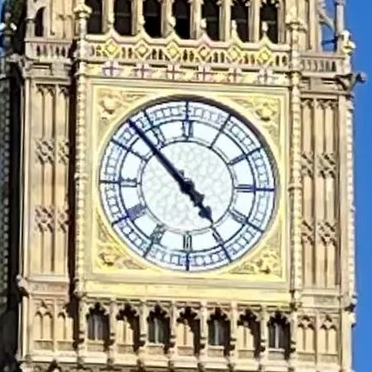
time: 4:52
